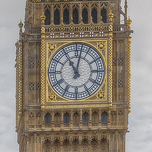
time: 11:02
